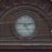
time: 5:12
